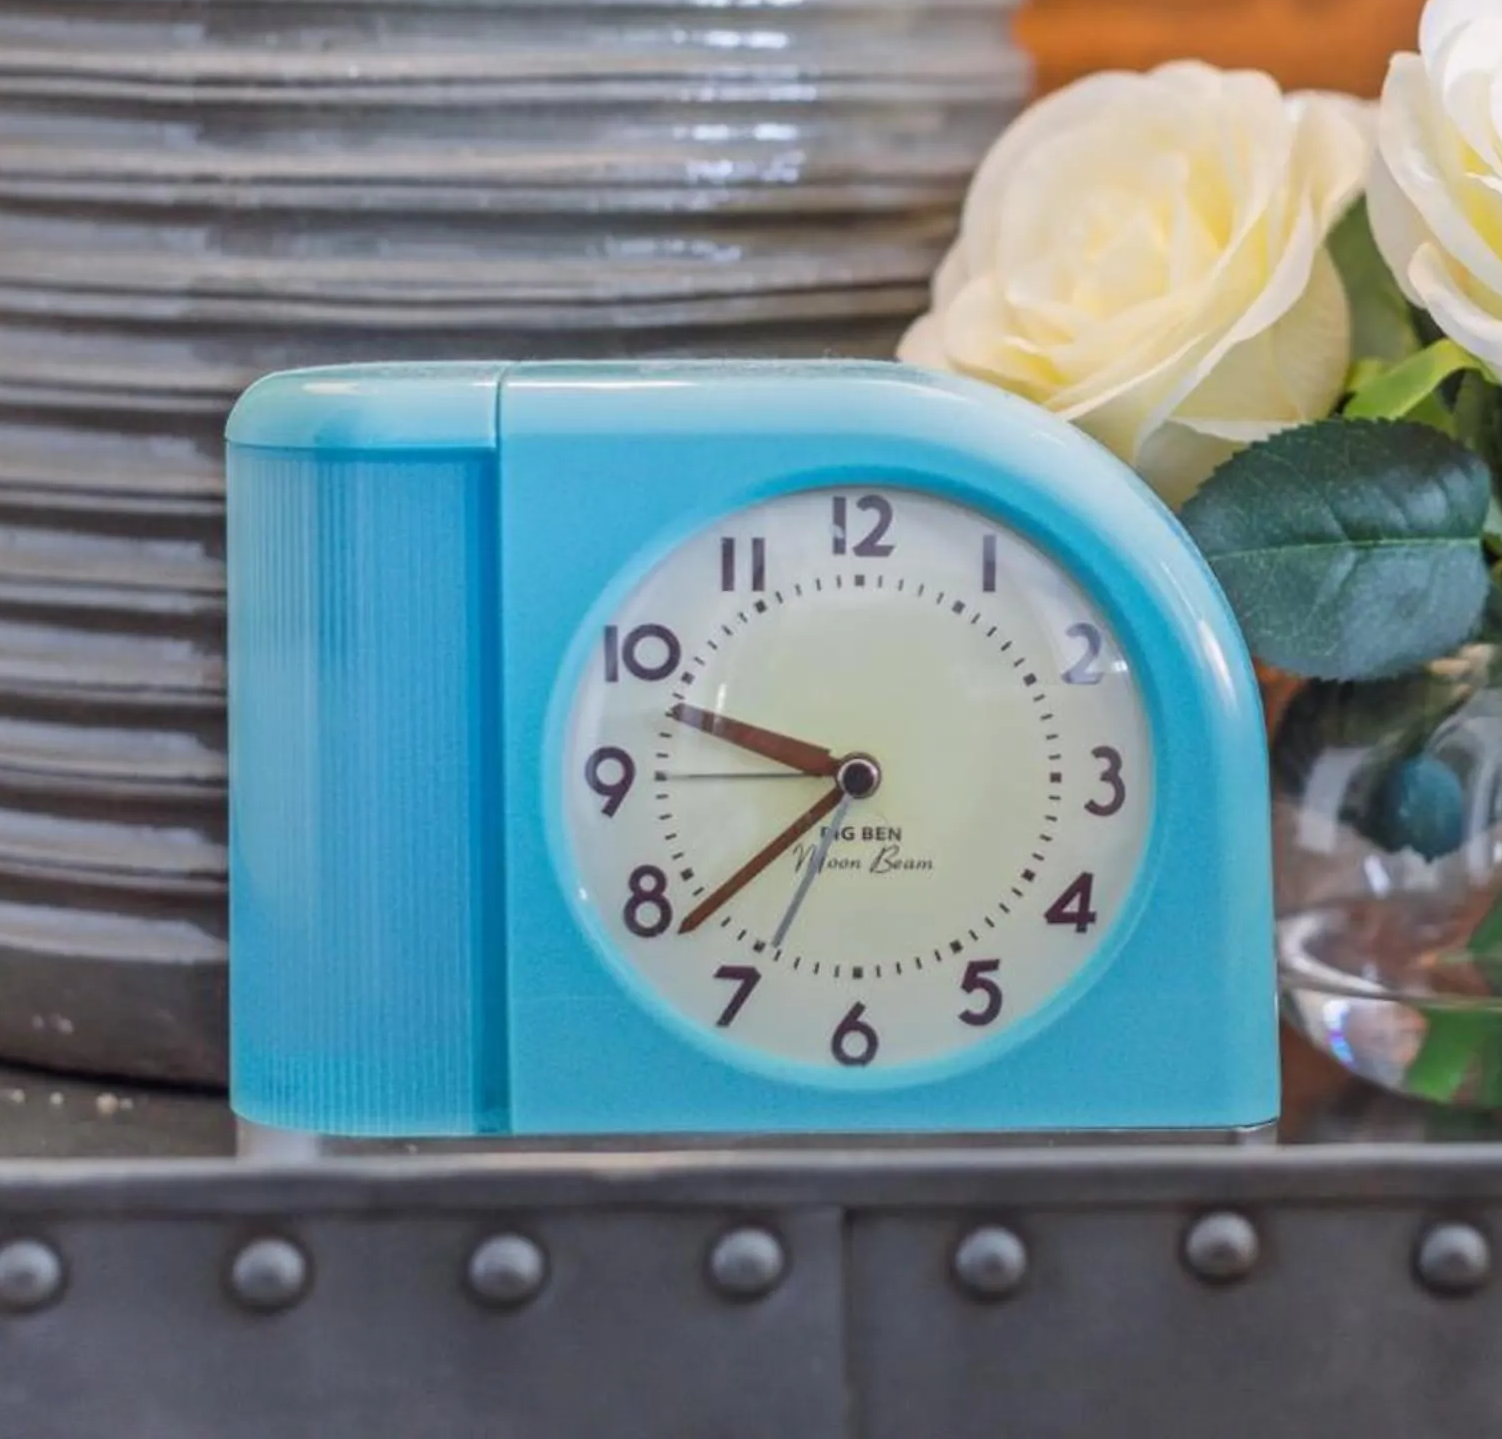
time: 9:38
